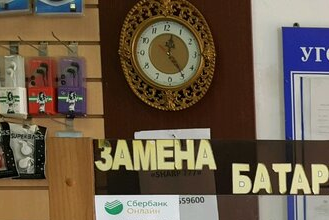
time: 12:24
